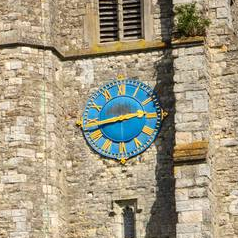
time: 2:42
